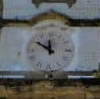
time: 11:50
